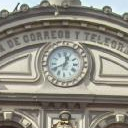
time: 12:41
